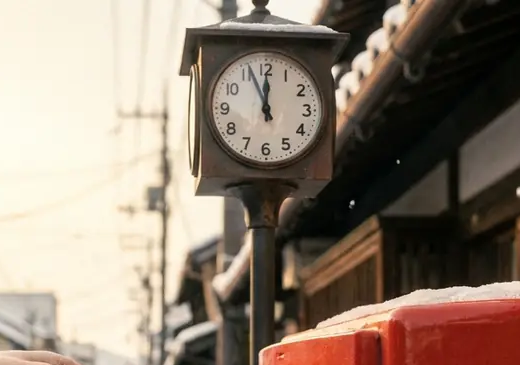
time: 11:56
